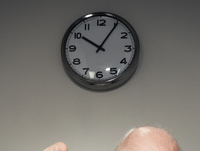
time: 10:05
